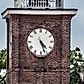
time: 4:26
